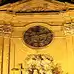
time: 12:12
